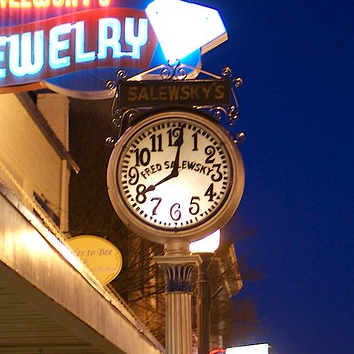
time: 8:01
